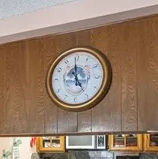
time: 4:59
